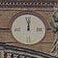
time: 11:57
